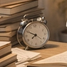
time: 7:49
